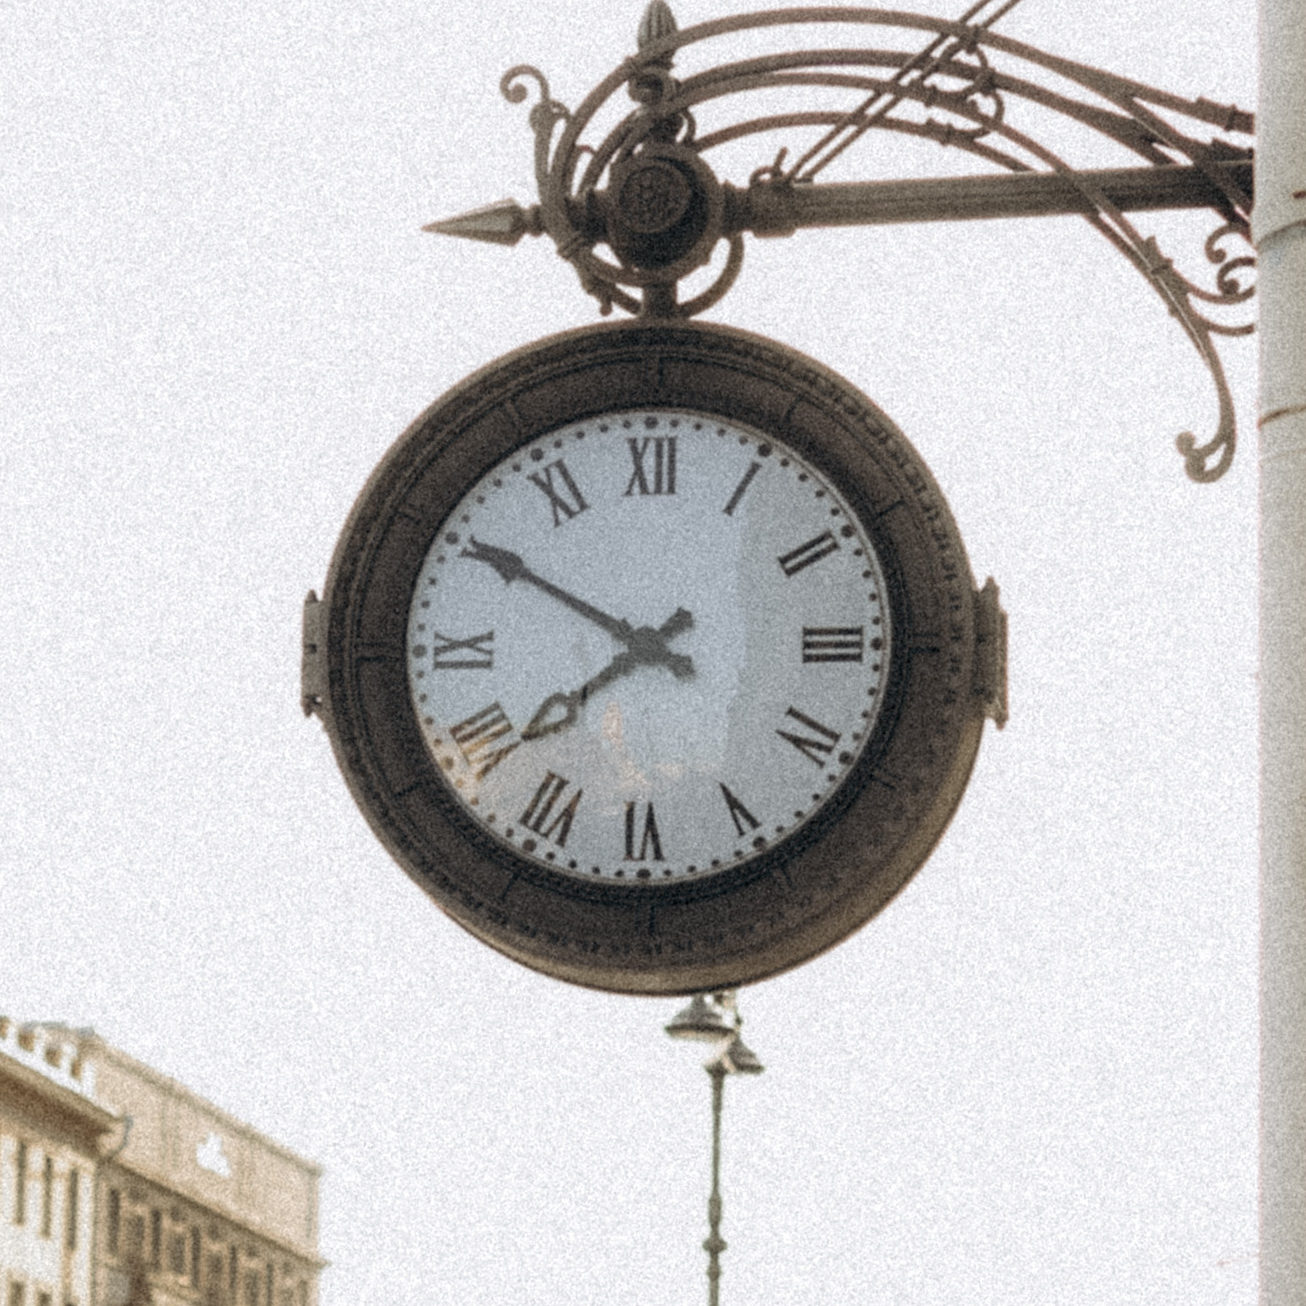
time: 7:50
